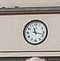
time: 11:17
